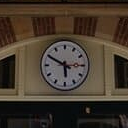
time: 5:49
